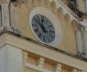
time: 11:51
